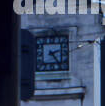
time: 2:23
